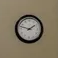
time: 1:47
